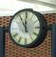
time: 11:55
